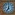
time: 7:00
